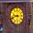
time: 9:42
